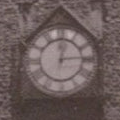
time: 12:14
